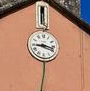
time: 9:17
